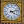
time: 4:12
